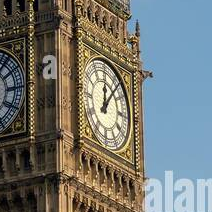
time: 12:06
